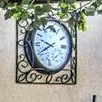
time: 9:40
